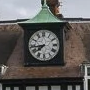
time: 7:43
